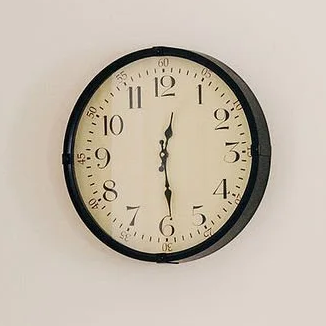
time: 12:28
